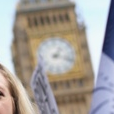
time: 1:18
